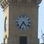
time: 4:35
